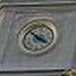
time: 3:52
